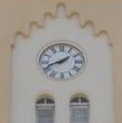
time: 1:41
